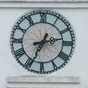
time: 2:33
